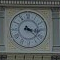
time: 3:22
